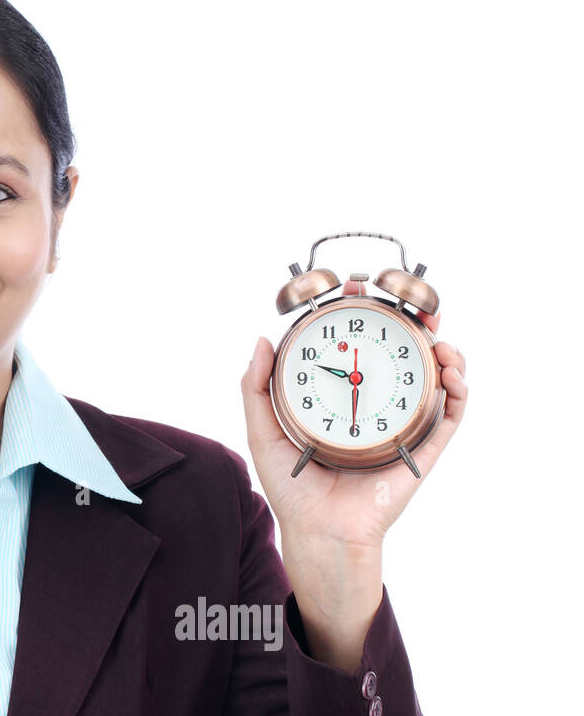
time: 9:30
